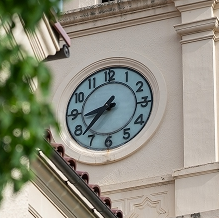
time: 8:37
